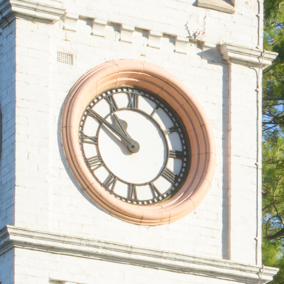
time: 10:50
